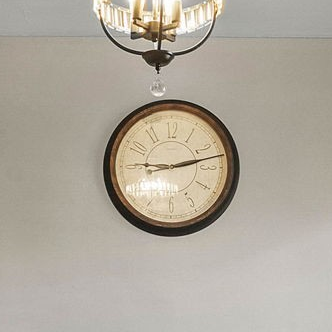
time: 9:12
